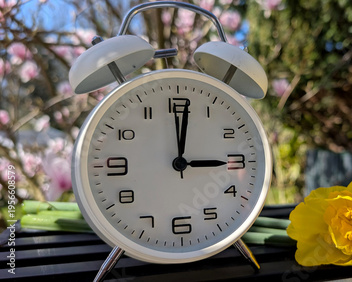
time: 3:01
